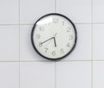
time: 5:40
